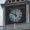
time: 11:51
